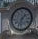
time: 1:32
